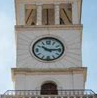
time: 10:14
